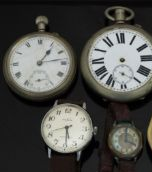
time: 1:13
